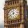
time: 11:40
